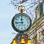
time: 11:44
